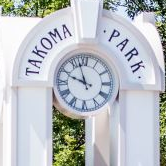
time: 9:57
